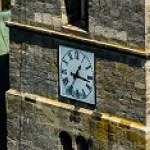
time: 1:16
